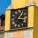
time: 1:16
